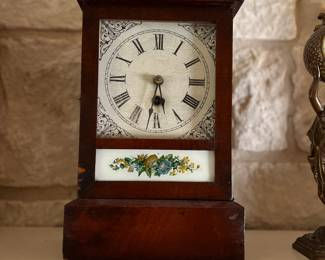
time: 5:31
